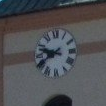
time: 9:39
